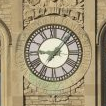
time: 9:07
